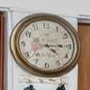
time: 4:15
